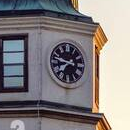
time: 7:47
